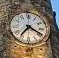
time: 7:19
